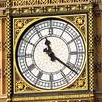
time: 11:21
